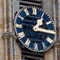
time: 1:16
